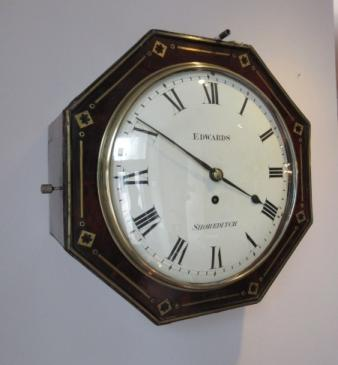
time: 3:50
